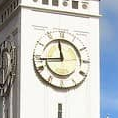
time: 11:43
